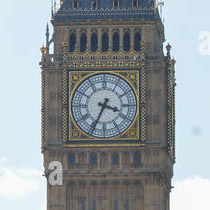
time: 3:34
